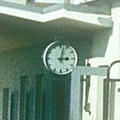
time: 3:02
